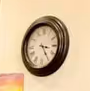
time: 3:24
